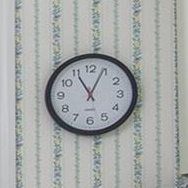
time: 11:04
